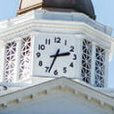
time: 2:33
